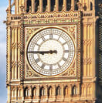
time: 8:45
